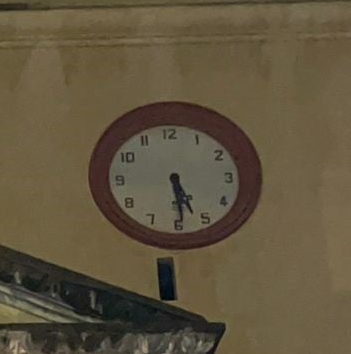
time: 5:29
